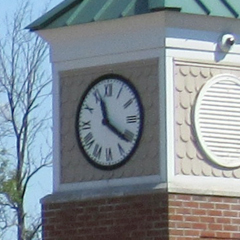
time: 11:21
